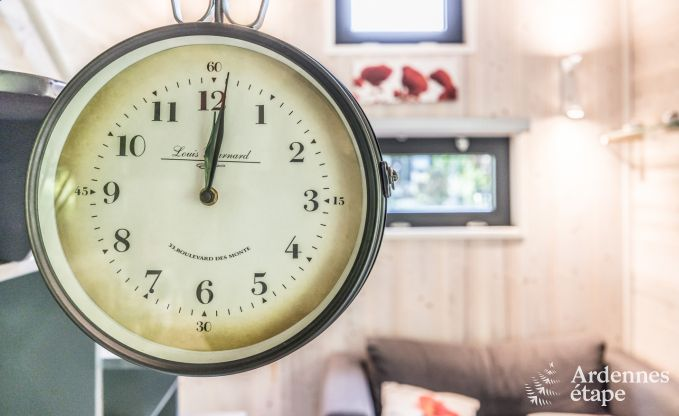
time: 12:01
